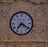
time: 7:20
